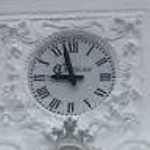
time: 8:57
